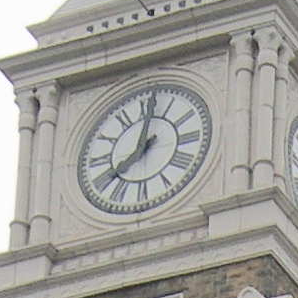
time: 8:01
